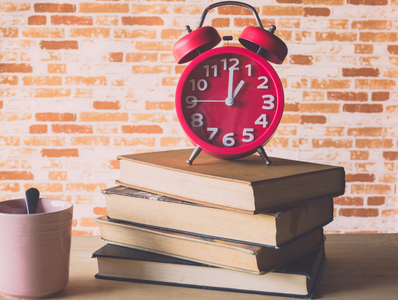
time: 1:00
